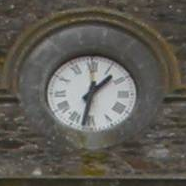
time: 1:32
